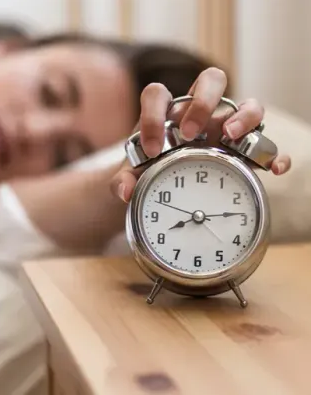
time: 8:13
